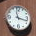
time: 11:17
